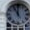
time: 10:59
